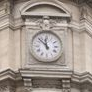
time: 11:52
